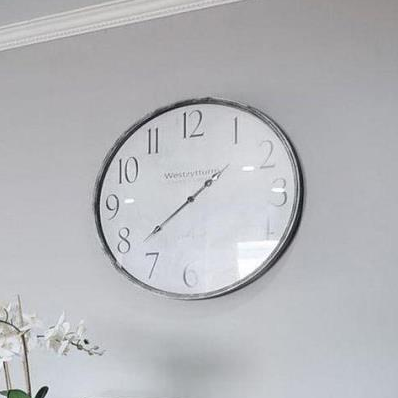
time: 1:38
